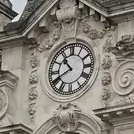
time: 10:40
